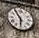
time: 5:54
